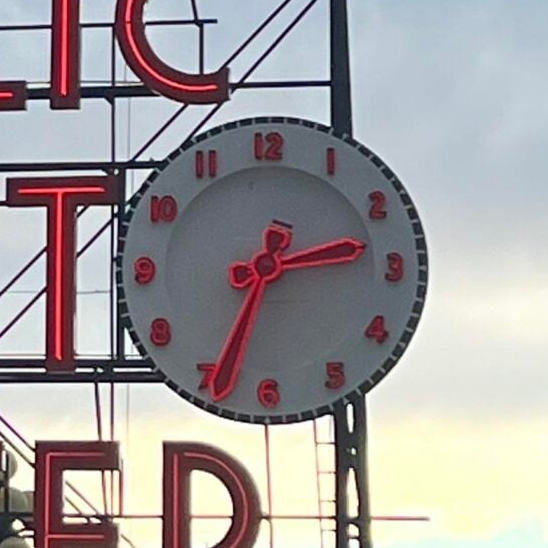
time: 2:33
